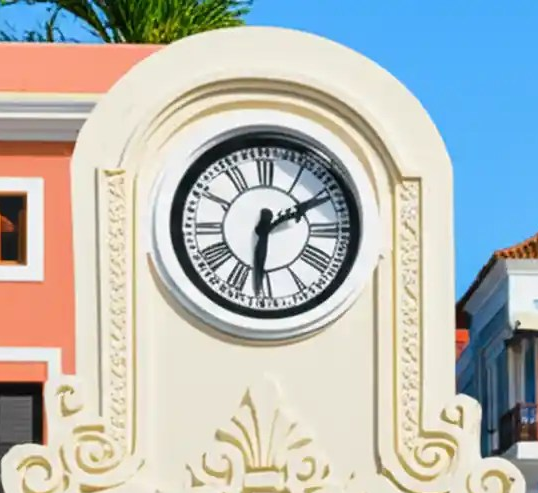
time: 6:10
